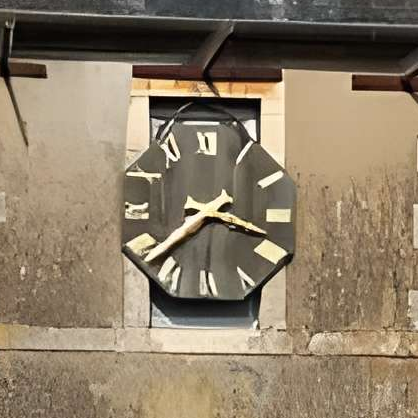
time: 3:38
